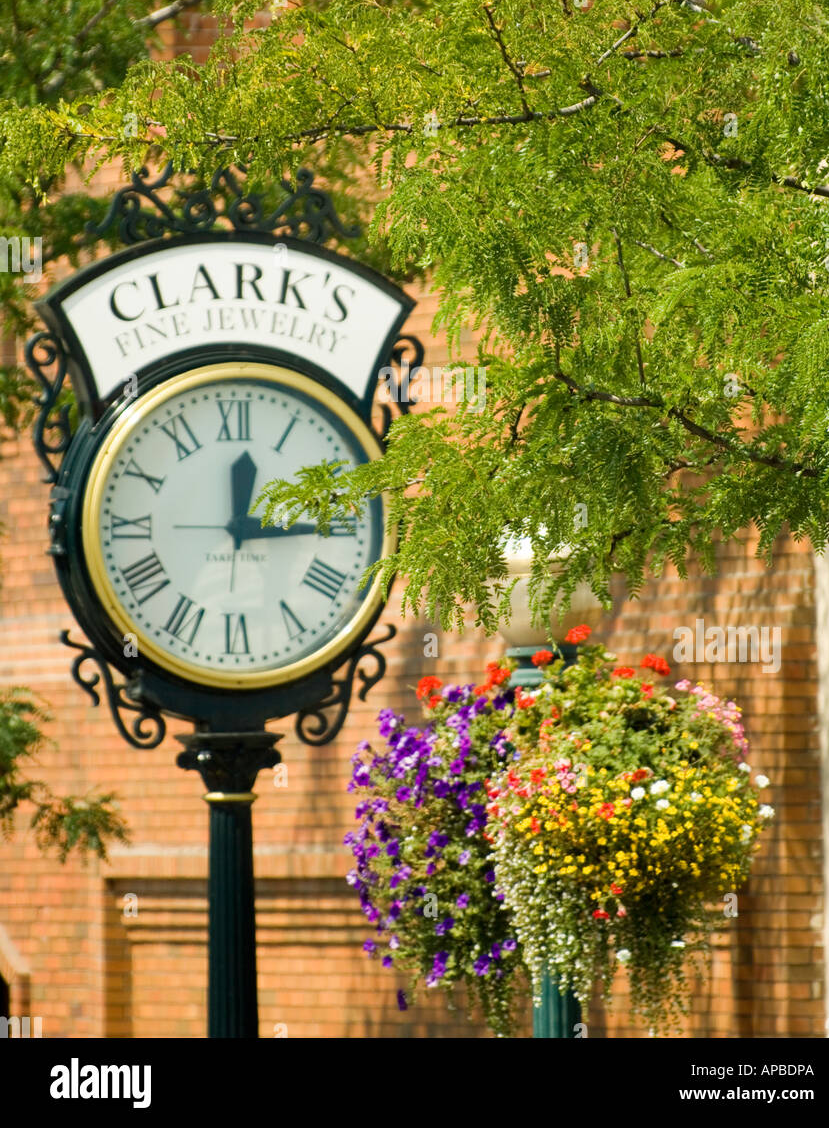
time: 12:14
